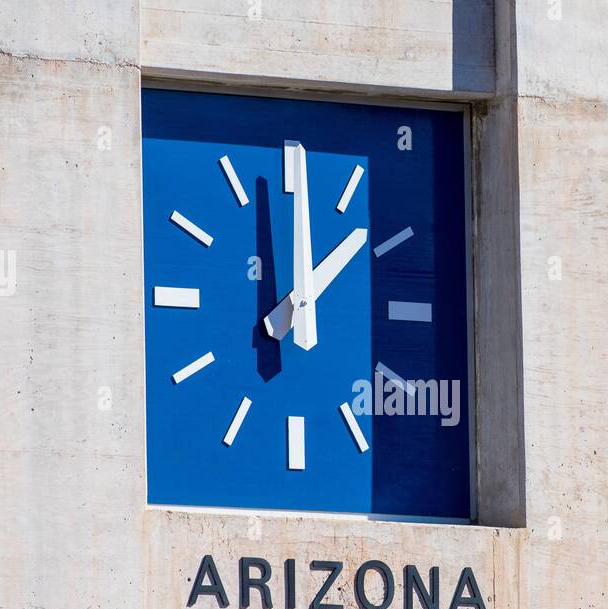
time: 12:07
